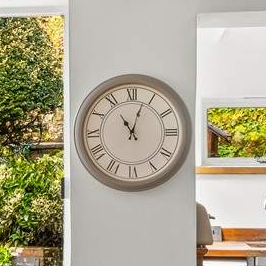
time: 11:03
